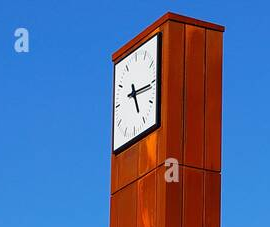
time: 5:15
